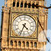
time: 4:33
